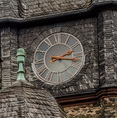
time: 2:16
